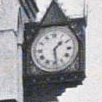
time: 1:28
